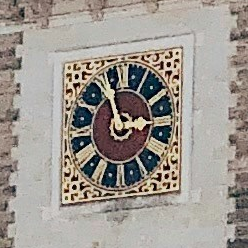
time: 2:56
